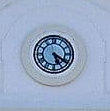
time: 5:20
